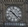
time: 10:23
